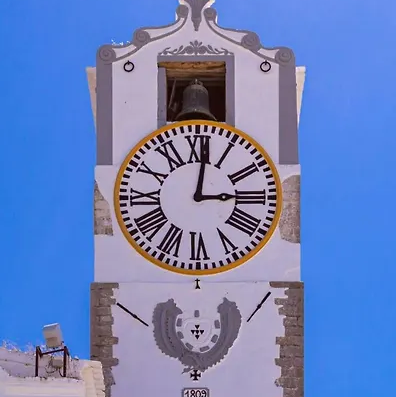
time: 3:01
